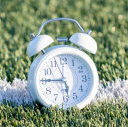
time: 5:45
